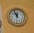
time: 11:55
